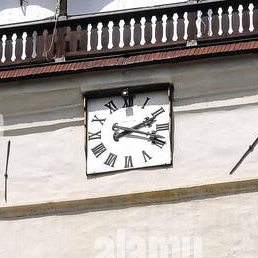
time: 2:18
